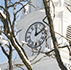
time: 12:11
